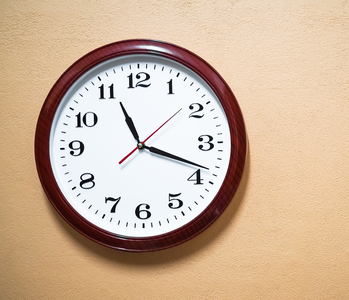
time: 11:18
